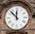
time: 11:52
